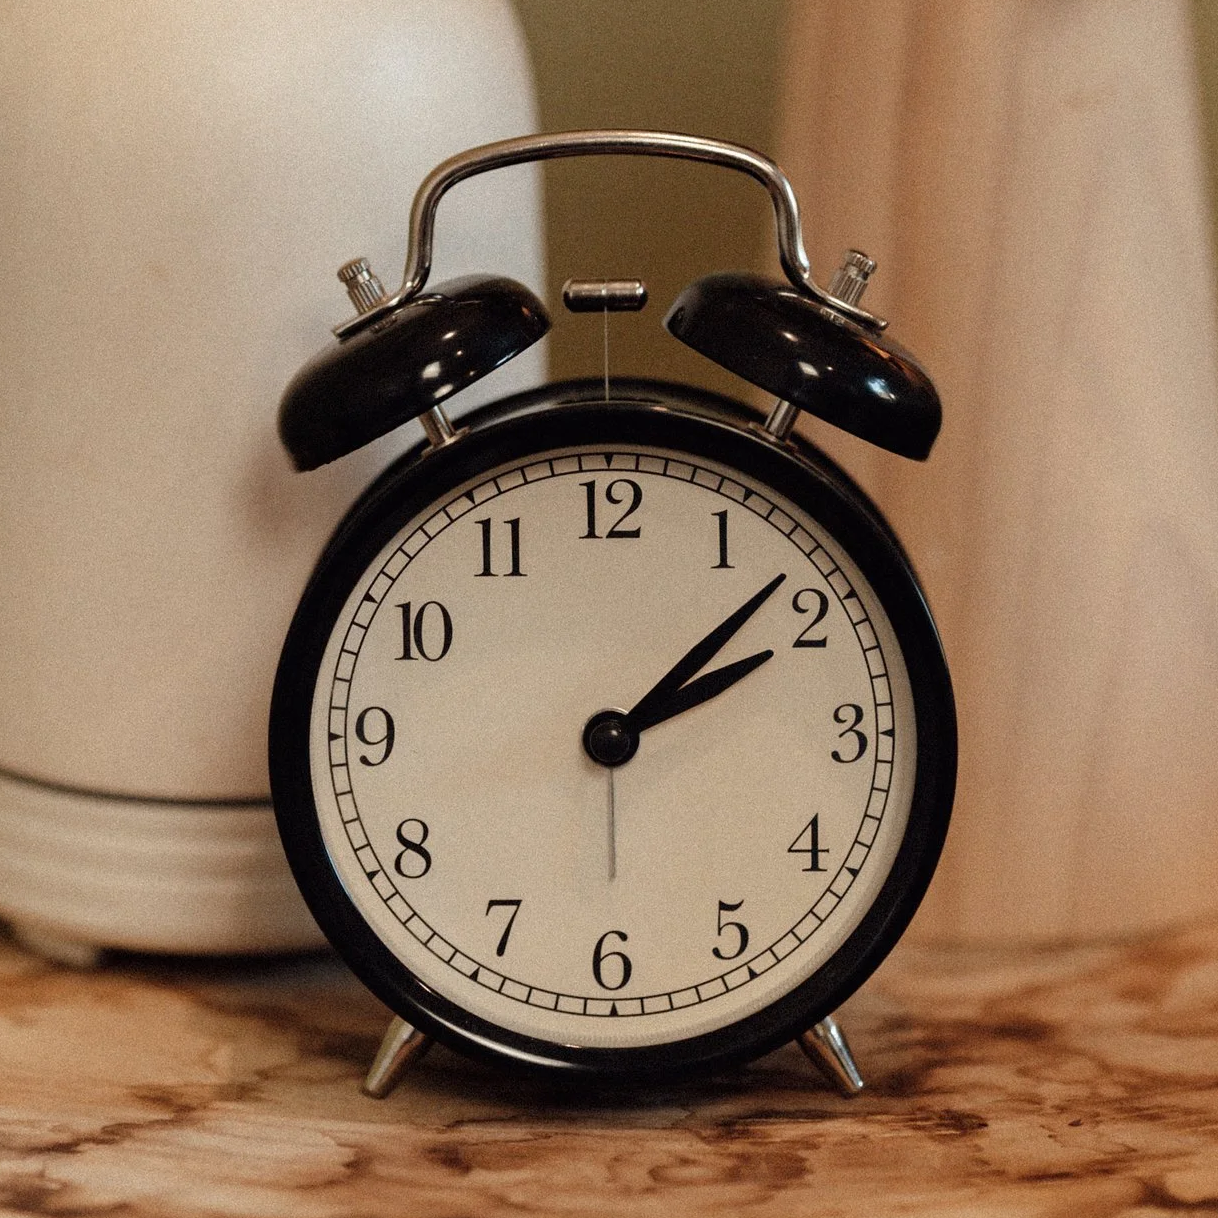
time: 2:08
